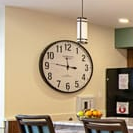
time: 11:46
